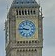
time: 9:45
